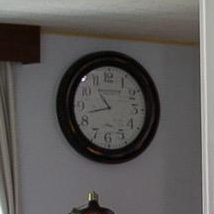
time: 10:42
